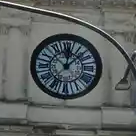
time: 12:07
